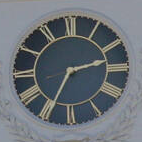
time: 2:34
